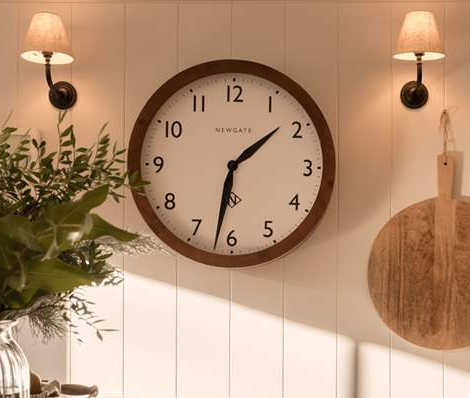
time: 1:31
